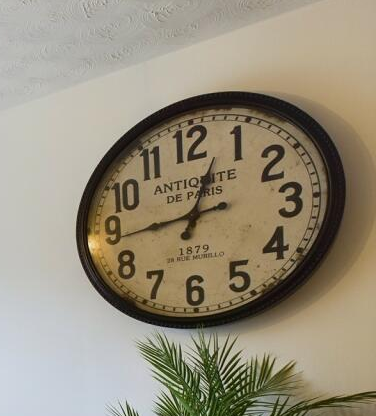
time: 12:43
